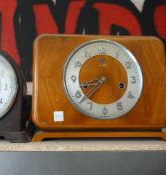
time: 8:37
